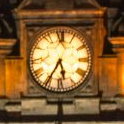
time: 5:35
